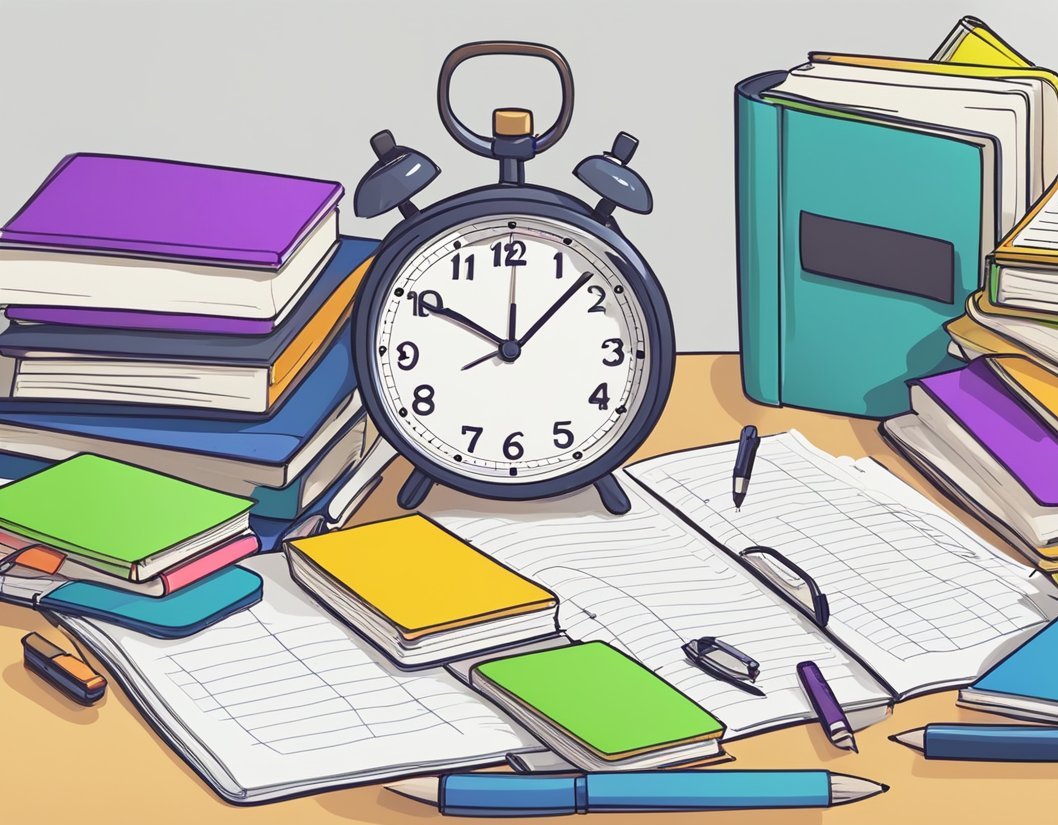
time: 10:07
